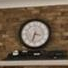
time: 3:32
